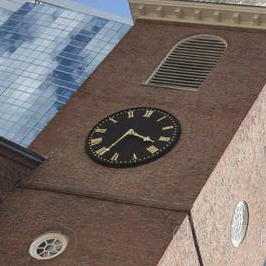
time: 3:34
